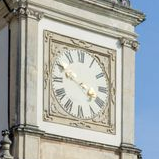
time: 3:48
